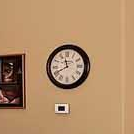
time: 11:40
